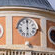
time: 6:00
